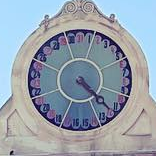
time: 4:22
